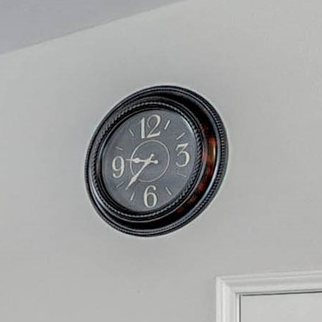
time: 9:36
